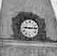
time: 9:14
